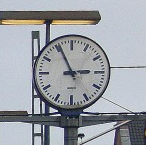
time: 2:56
